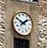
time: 1:50
